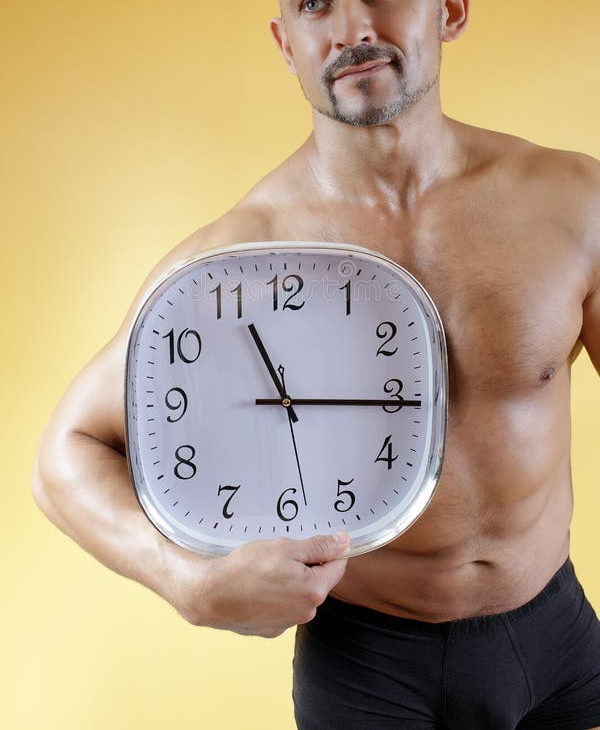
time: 11:15
